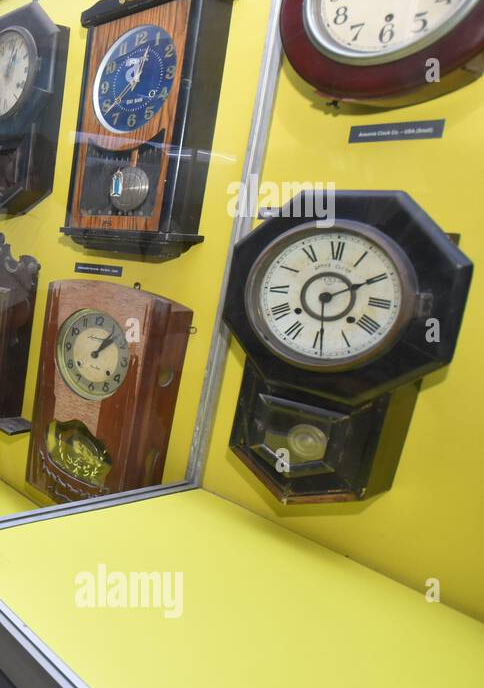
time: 6:10
